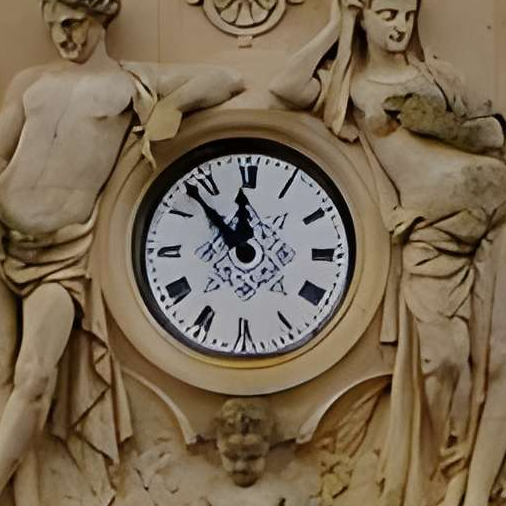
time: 11:52
